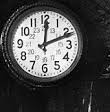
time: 12:11
